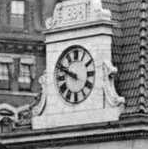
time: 9:48
